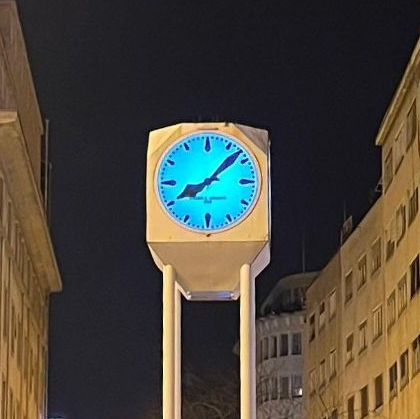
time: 8:07
